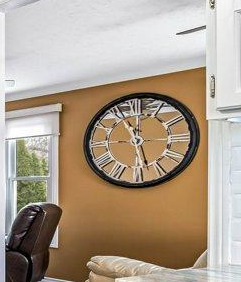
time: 11:28
